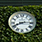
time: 8:14
